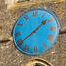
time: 1:39
